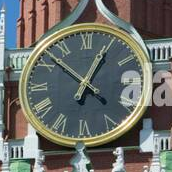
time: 12:52
